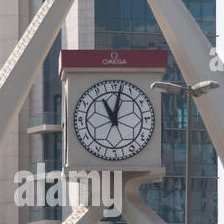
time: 11:02
